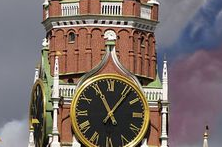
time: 11:06
